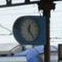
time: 12:23
